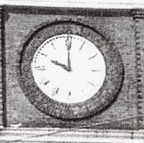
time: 10:00
